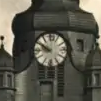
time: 9:50
